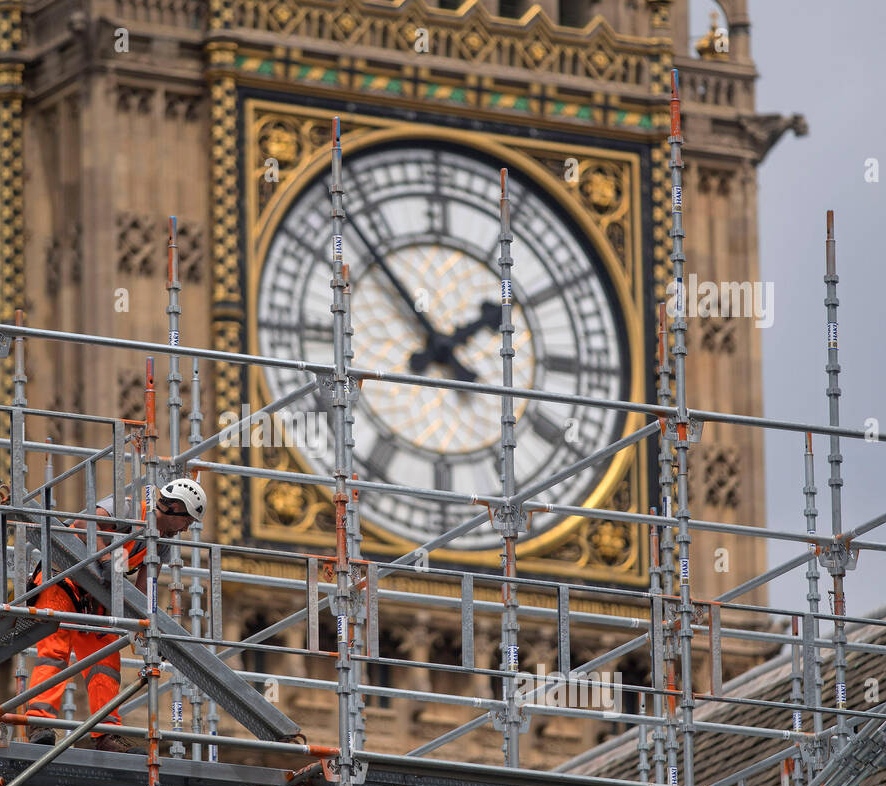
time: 1:53
